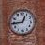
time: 12:44
